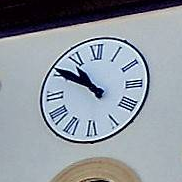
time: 10:50
